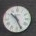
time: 10:25
